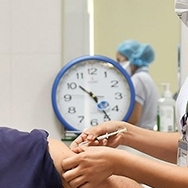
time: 10:24
